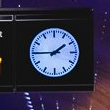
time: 1:45
